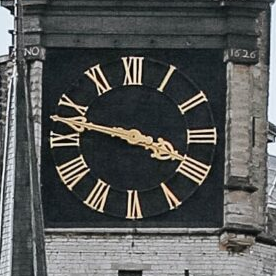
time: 3:47
